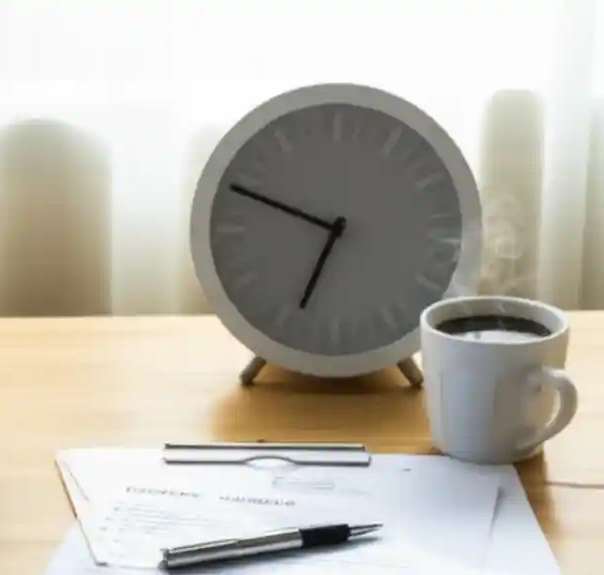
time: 6:48
